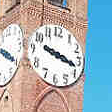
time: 9:17
